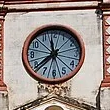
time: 11:38
